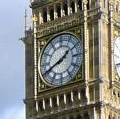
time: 1:40
